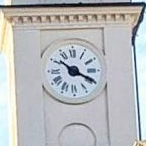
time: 10:19
